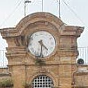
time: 4:31
